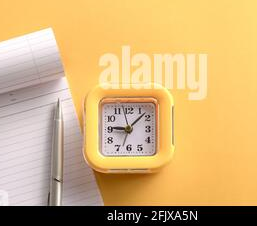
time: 9:07
